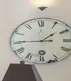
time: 1:45
